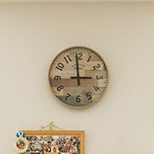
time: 2:59
